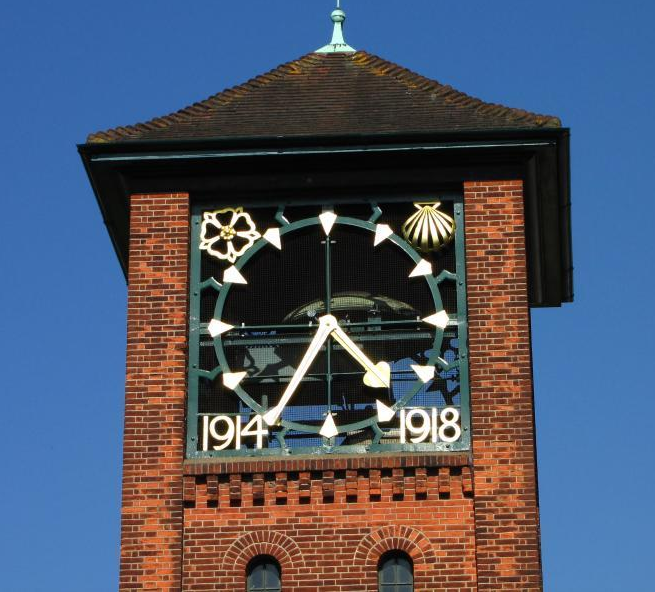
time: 4:35
